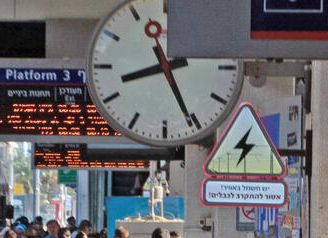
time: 8:25
